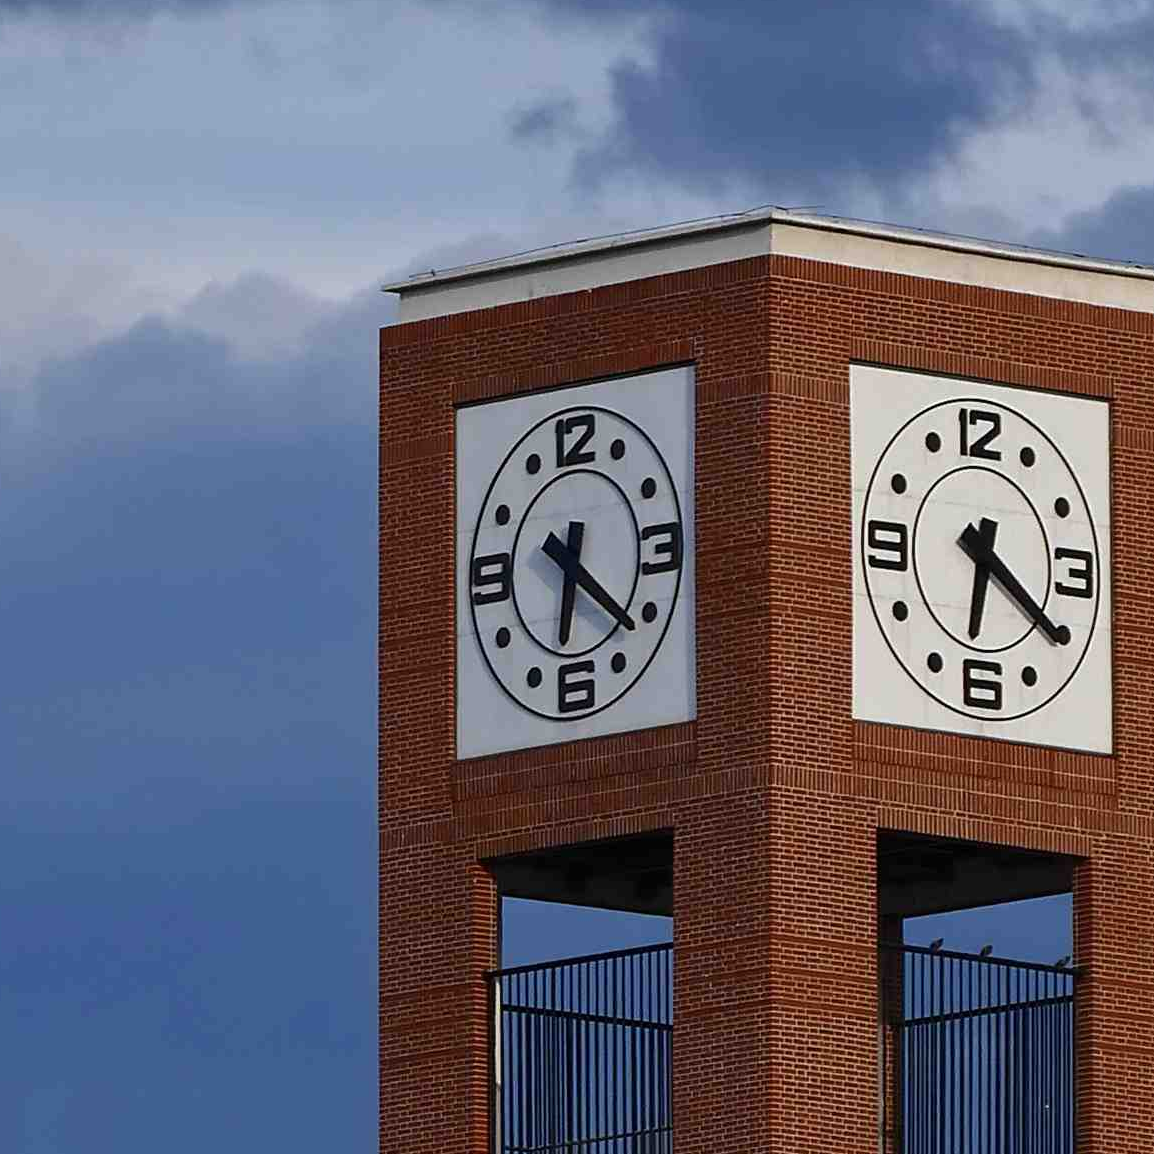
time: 6:21
